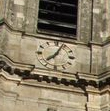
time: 7:03
